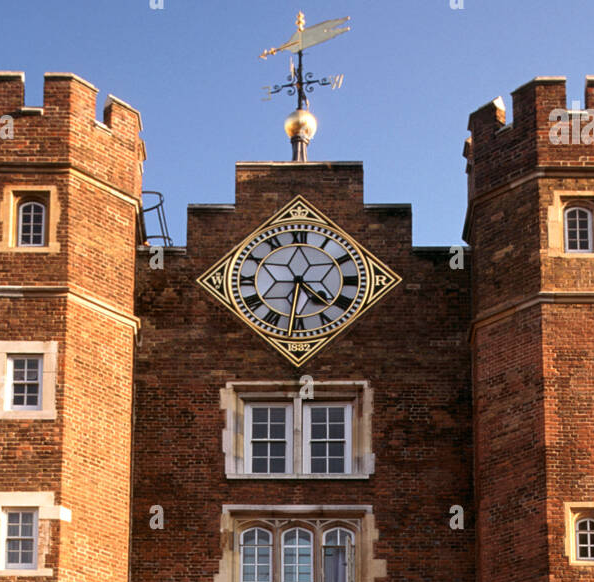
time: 4:31
